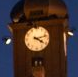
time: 4:12
